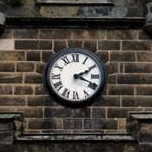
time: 2:18
